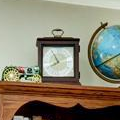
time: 7:54
